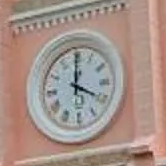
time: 4:00
